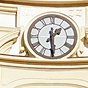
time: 1:29
